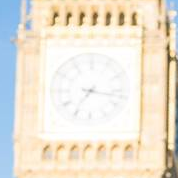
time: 7:16
